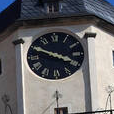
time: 3:49
